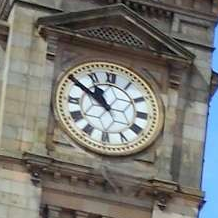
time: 10:50
